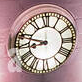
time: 8:48
